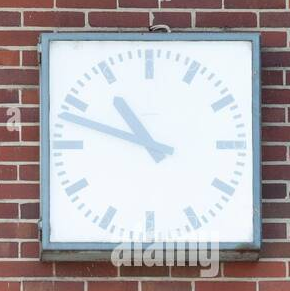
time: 10:48
